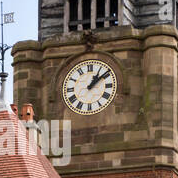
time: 1:08
